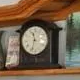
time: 11:32
